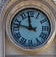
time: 11:47
